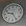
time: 9:25
